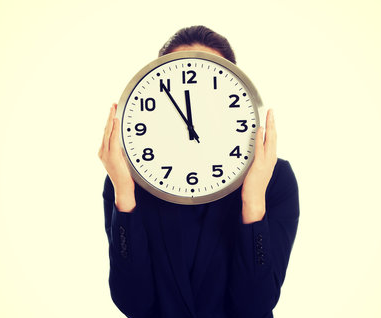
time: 11:54
